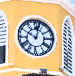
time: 10:02
